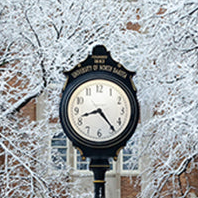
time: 8:23
